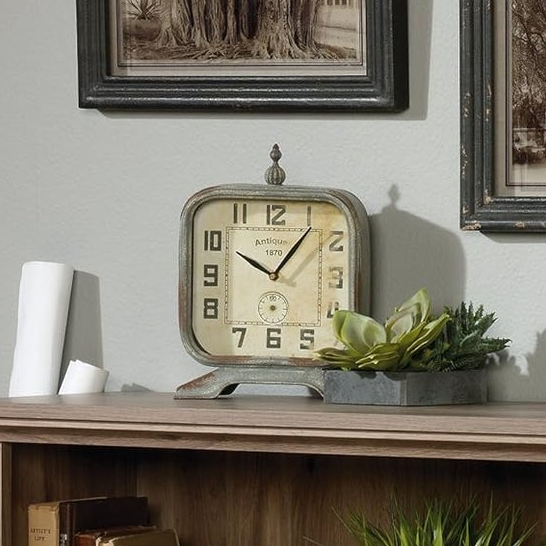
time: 10:06
